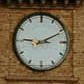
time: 9:10
